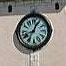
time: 8:04
